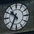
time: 10:34
